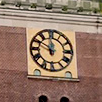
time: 11:49
